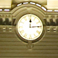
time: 12:14
